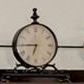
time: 6:44
